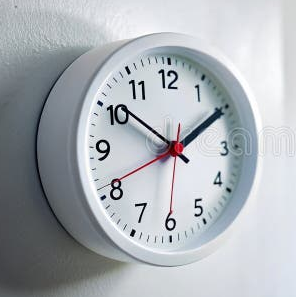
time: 1:50
